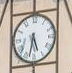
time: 5:32
